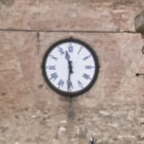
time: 11:31
